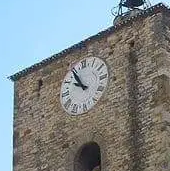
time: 9:54
